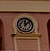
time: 12:07
